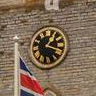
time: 1:18
